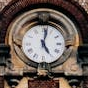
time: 5:02
